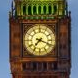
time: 7:18
